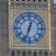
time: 12:33
